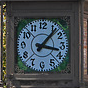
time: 3:06
